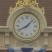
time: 8:07
